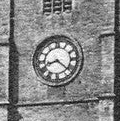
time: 8:21
